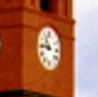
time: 10:45
